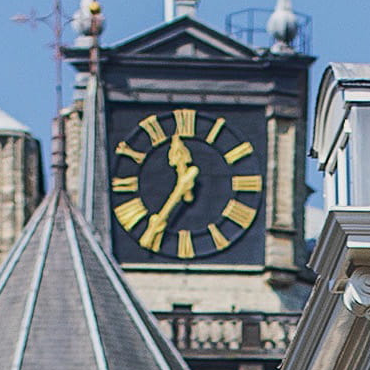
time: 11:36
